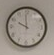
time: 9:59
